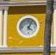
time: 4:04
